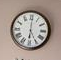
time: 5:00
